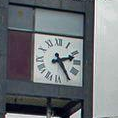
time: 2:25
